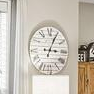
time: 3:04
